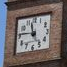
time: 11:46
